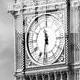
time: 11:31
